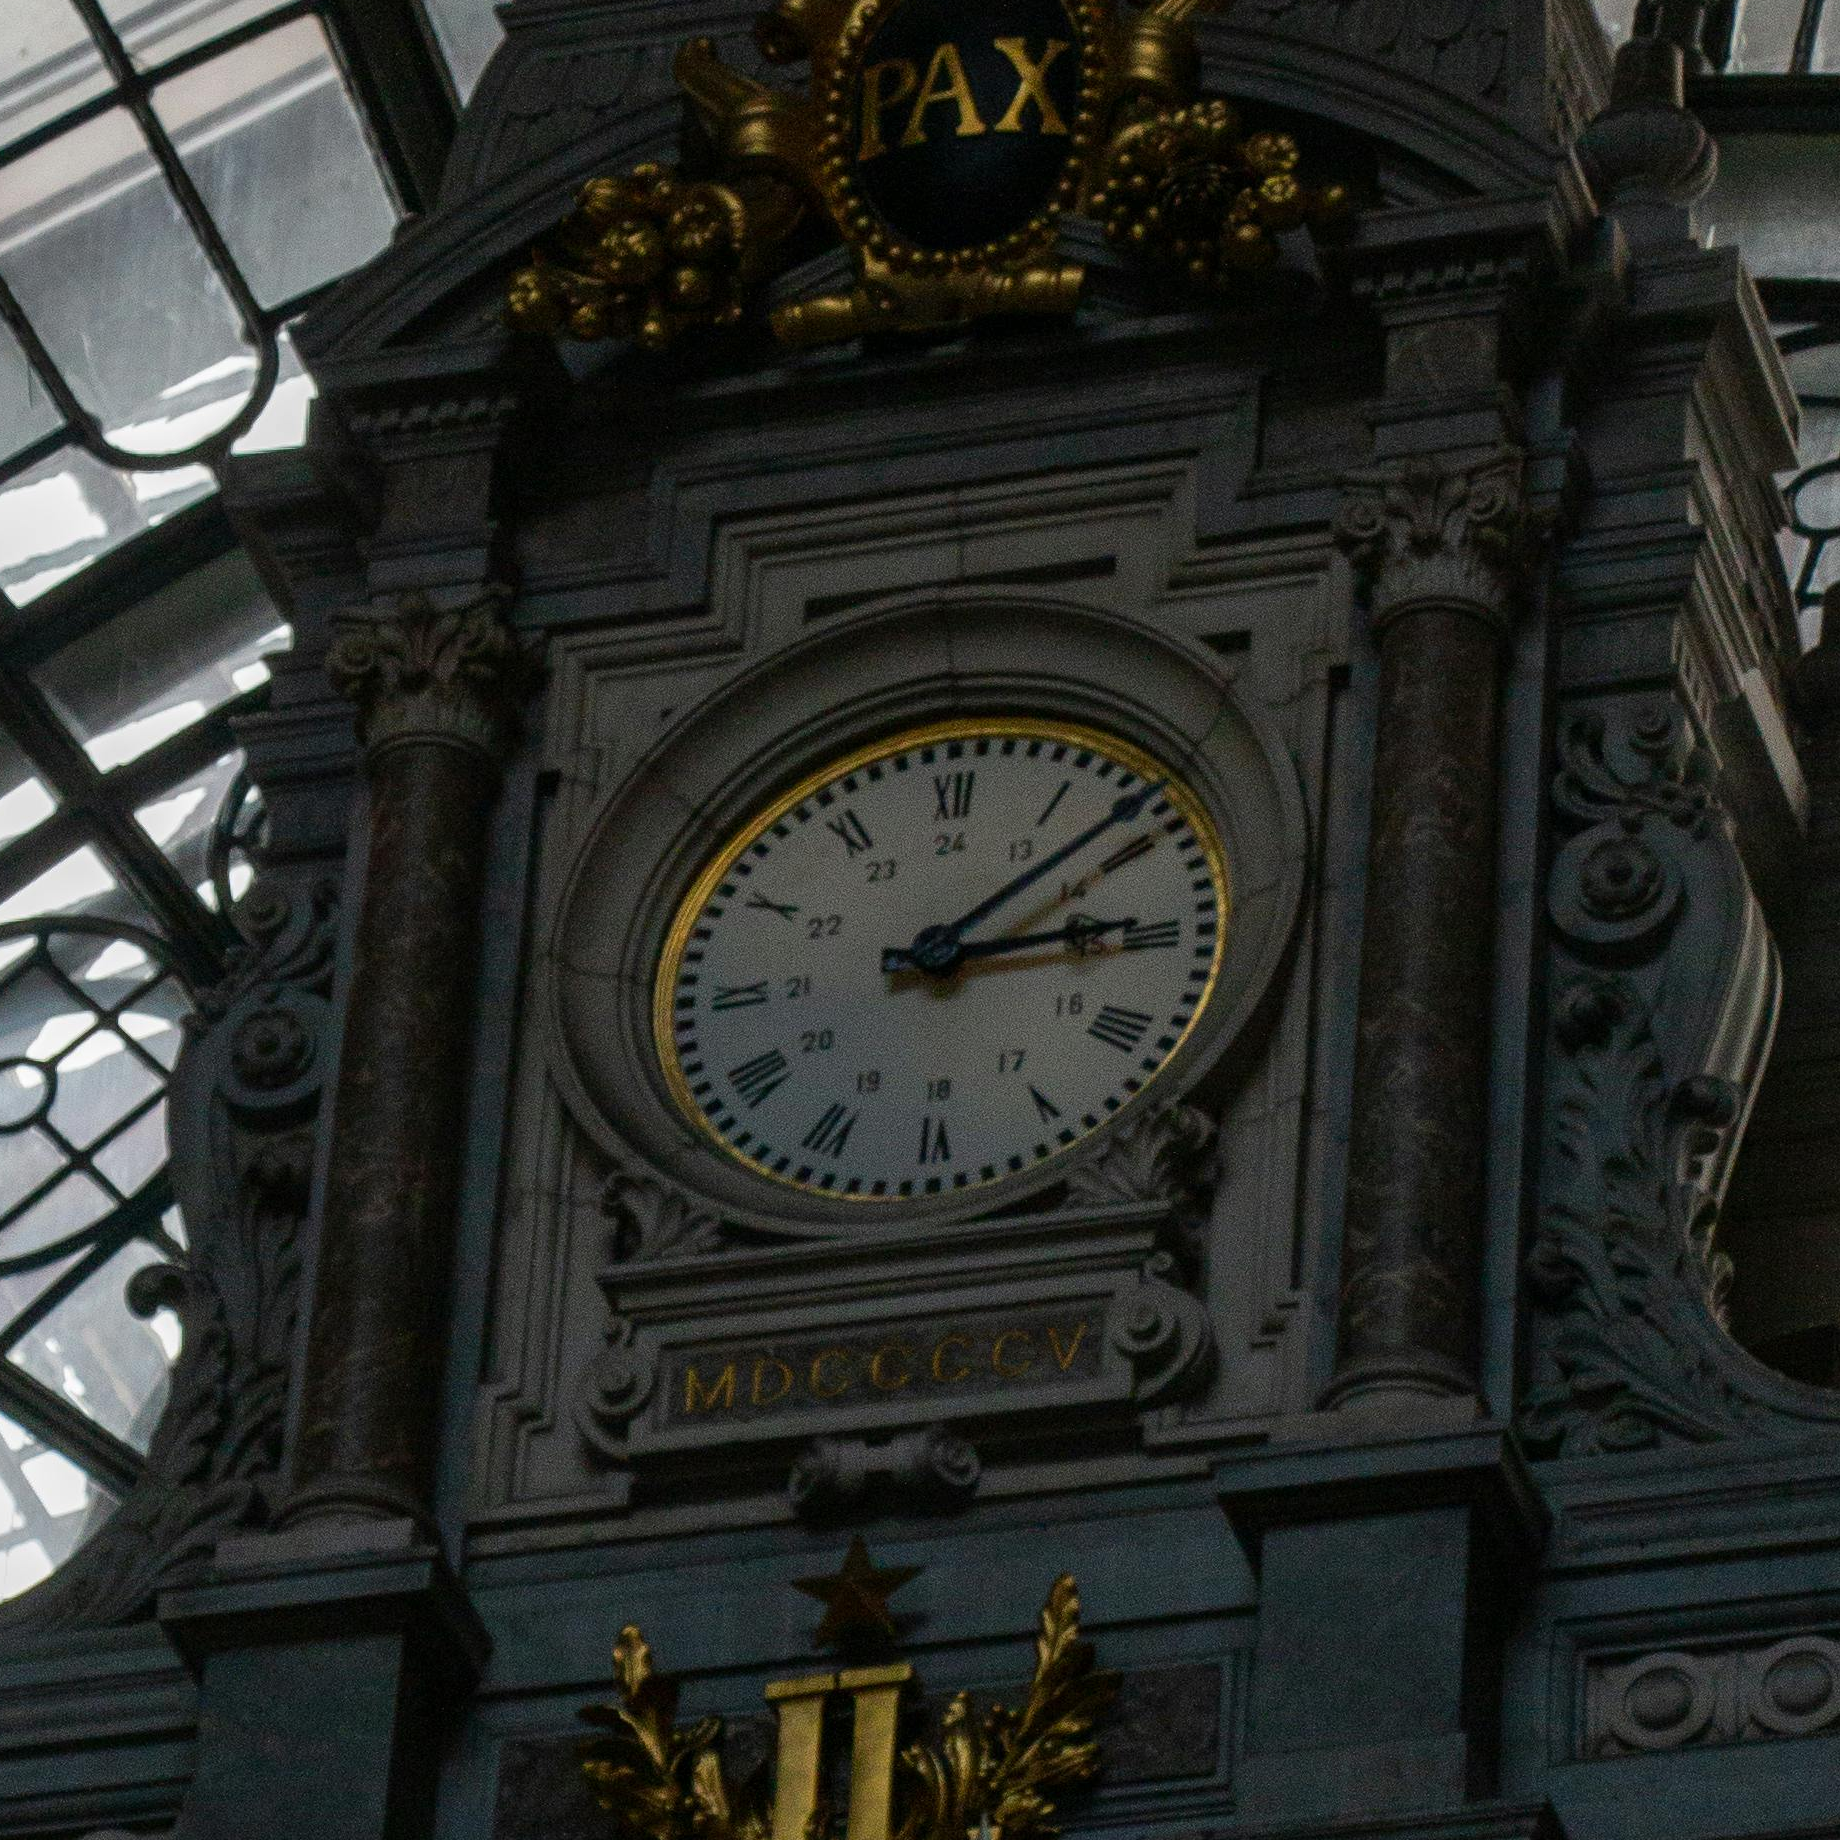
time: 3:08
